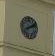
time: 2:11
